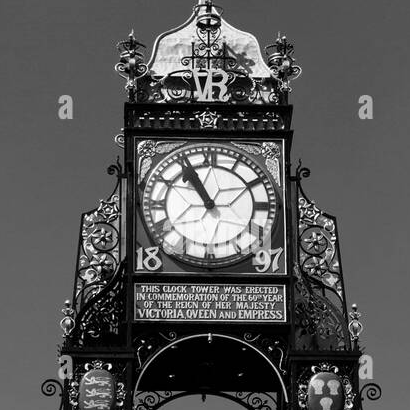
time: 10:55
